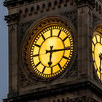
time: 6:15
